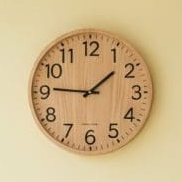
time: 1:46
